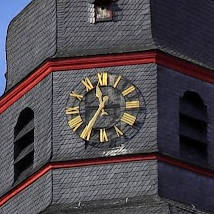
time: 11:35
